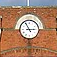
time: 2:55
